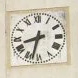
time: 8:32
